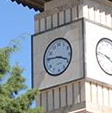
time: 3:45
